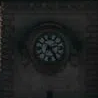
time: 2:24
